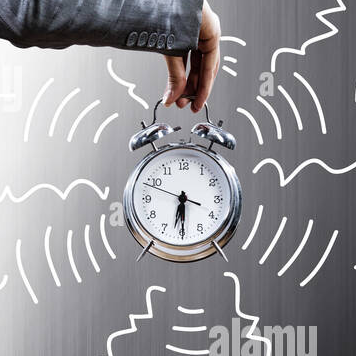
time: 6:29
